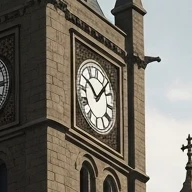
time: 10:07
